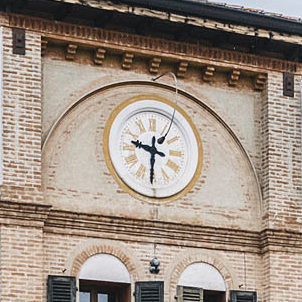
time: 9:30
